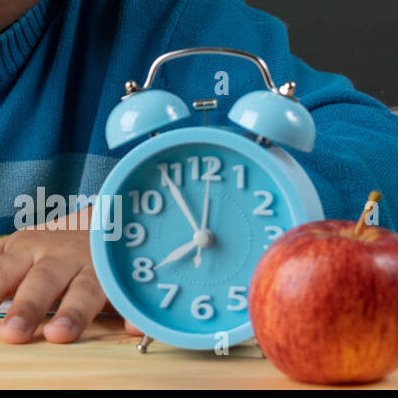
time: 7:54
